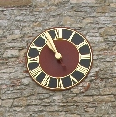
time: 10:56
